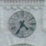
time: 4:34
